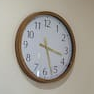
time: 3:27
